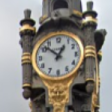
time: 12:52
